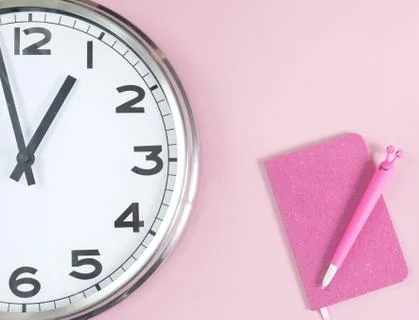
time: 12:56
